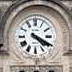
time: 4:19
